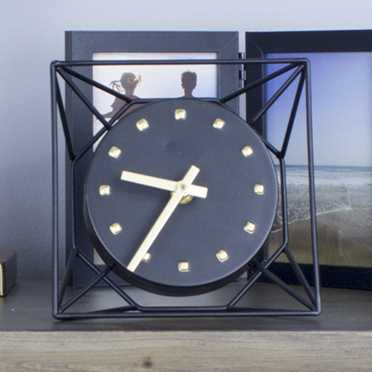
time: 9:35
